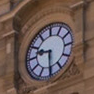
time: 9:30
